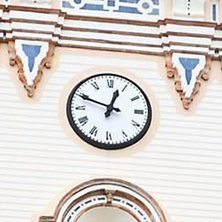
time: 12:48
